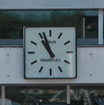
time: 10:56
